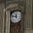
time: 11:46
